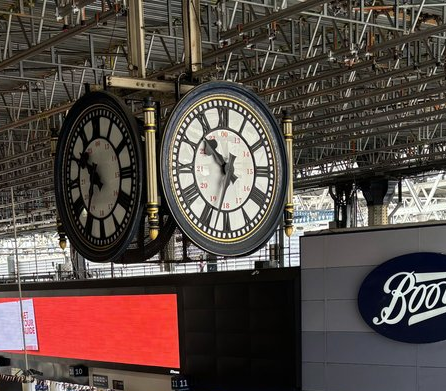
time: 10:33
